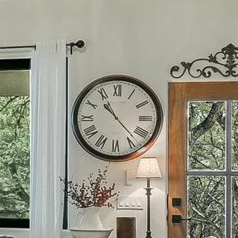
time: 10:22
